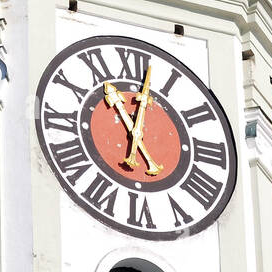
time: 11:02
